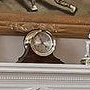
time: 11:23
